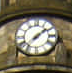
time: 1:37
